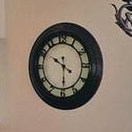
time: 10:30
